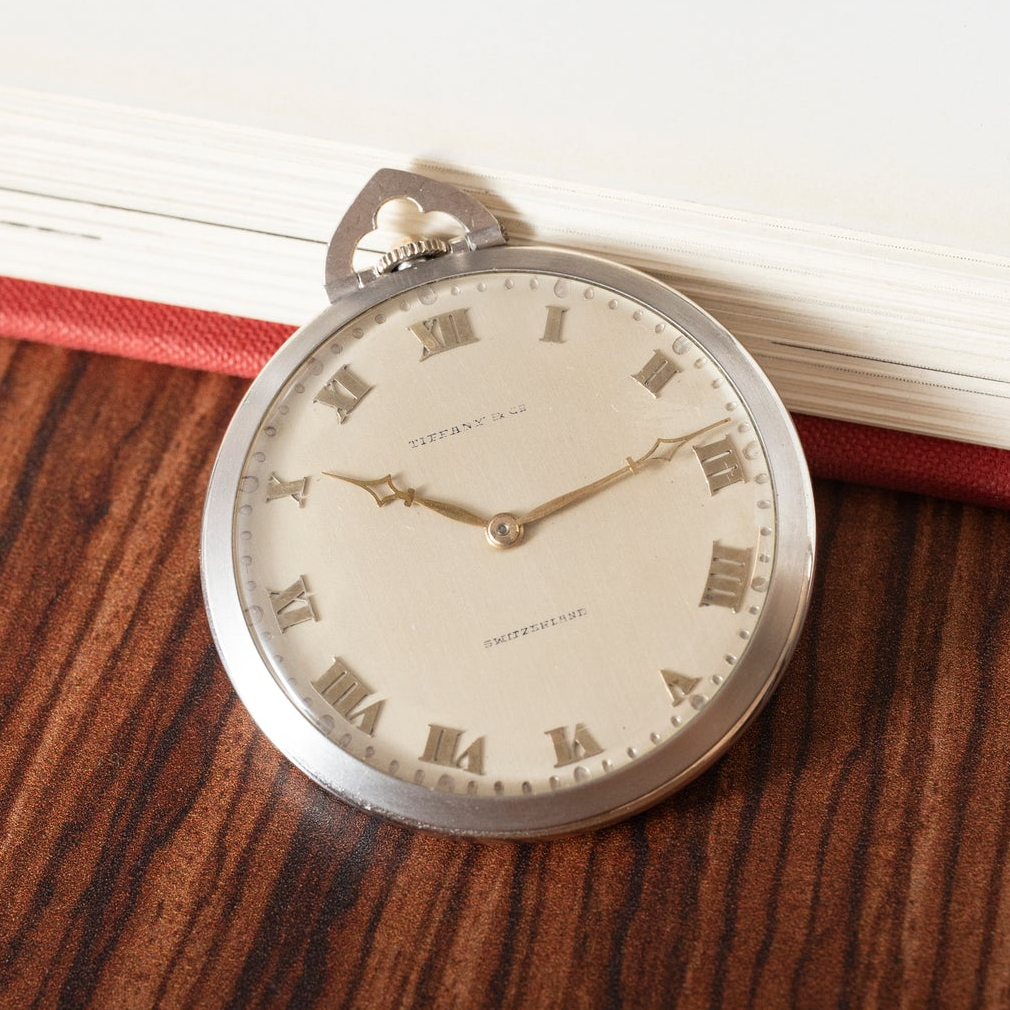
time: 10:13
